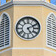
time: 5:10
